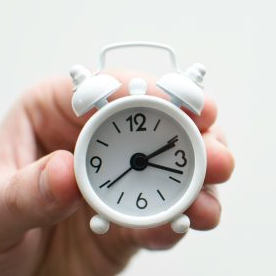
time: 2:18
